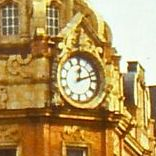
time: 12:12
